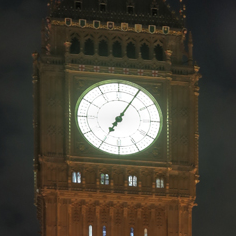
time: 7:05
